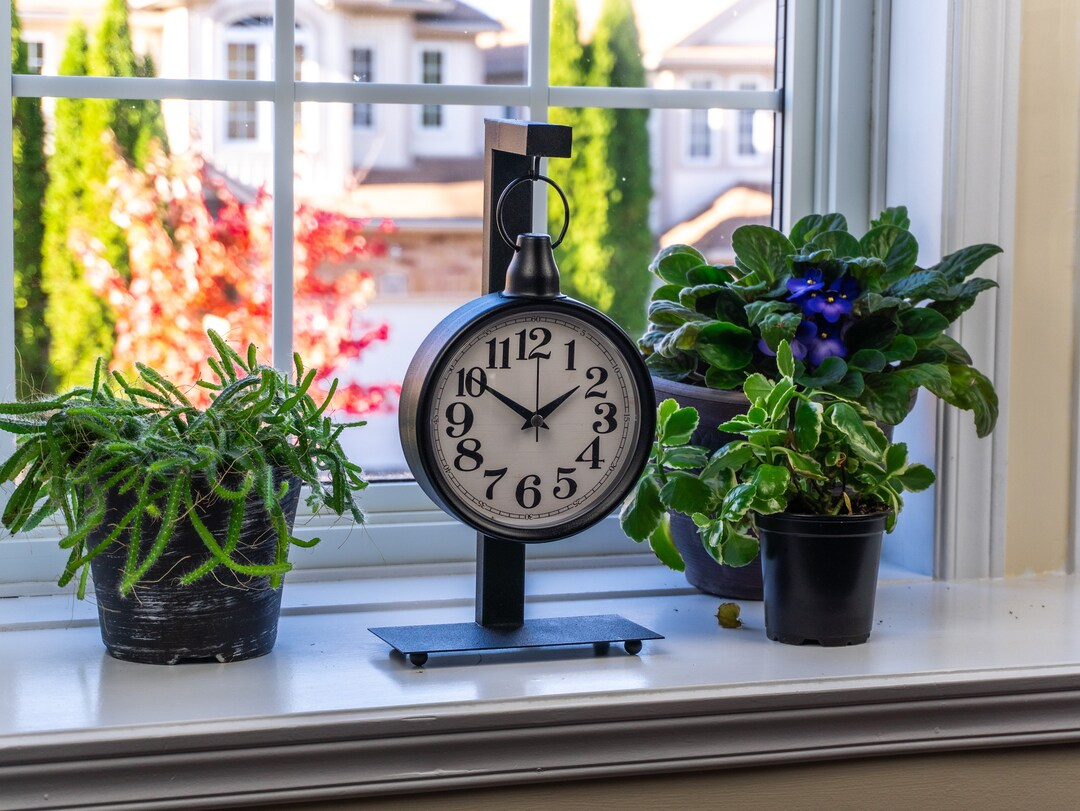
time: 1:50
